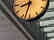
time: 8:32
